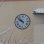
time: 9:51
